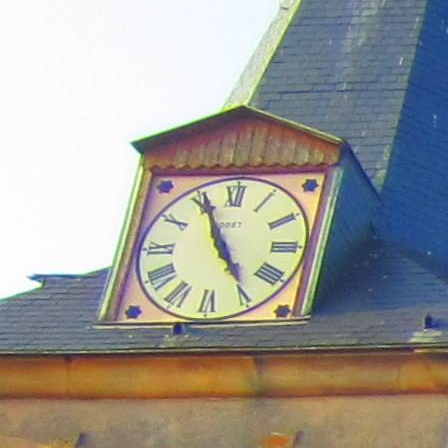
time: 4:55
